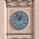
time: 12:55
